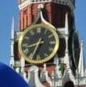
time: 8:34
